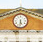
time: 5:31
